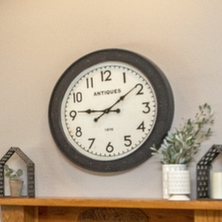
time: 9:08
